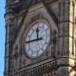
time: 11:45
